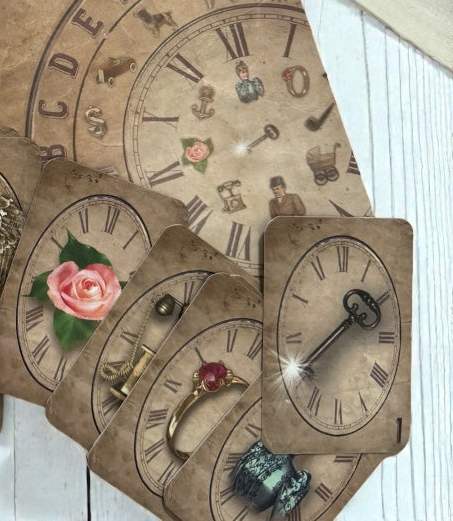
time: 2:39
